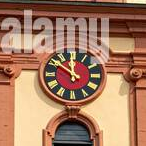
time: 11:50
